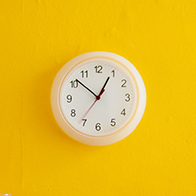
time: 12:51
